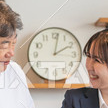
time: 2:01
